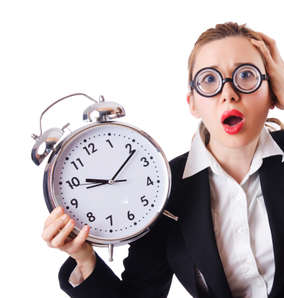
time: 9:11
